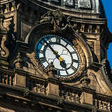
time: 4:52
